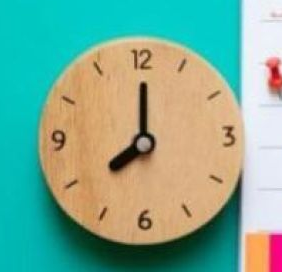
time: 8:00
